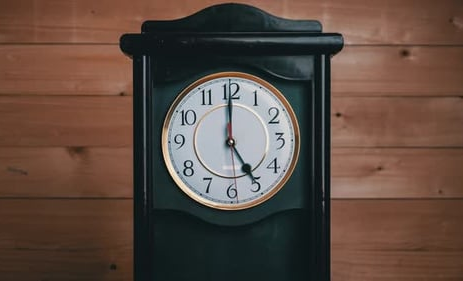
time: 4:59
